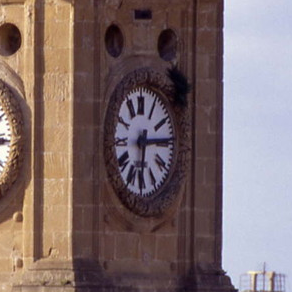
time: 6:14
